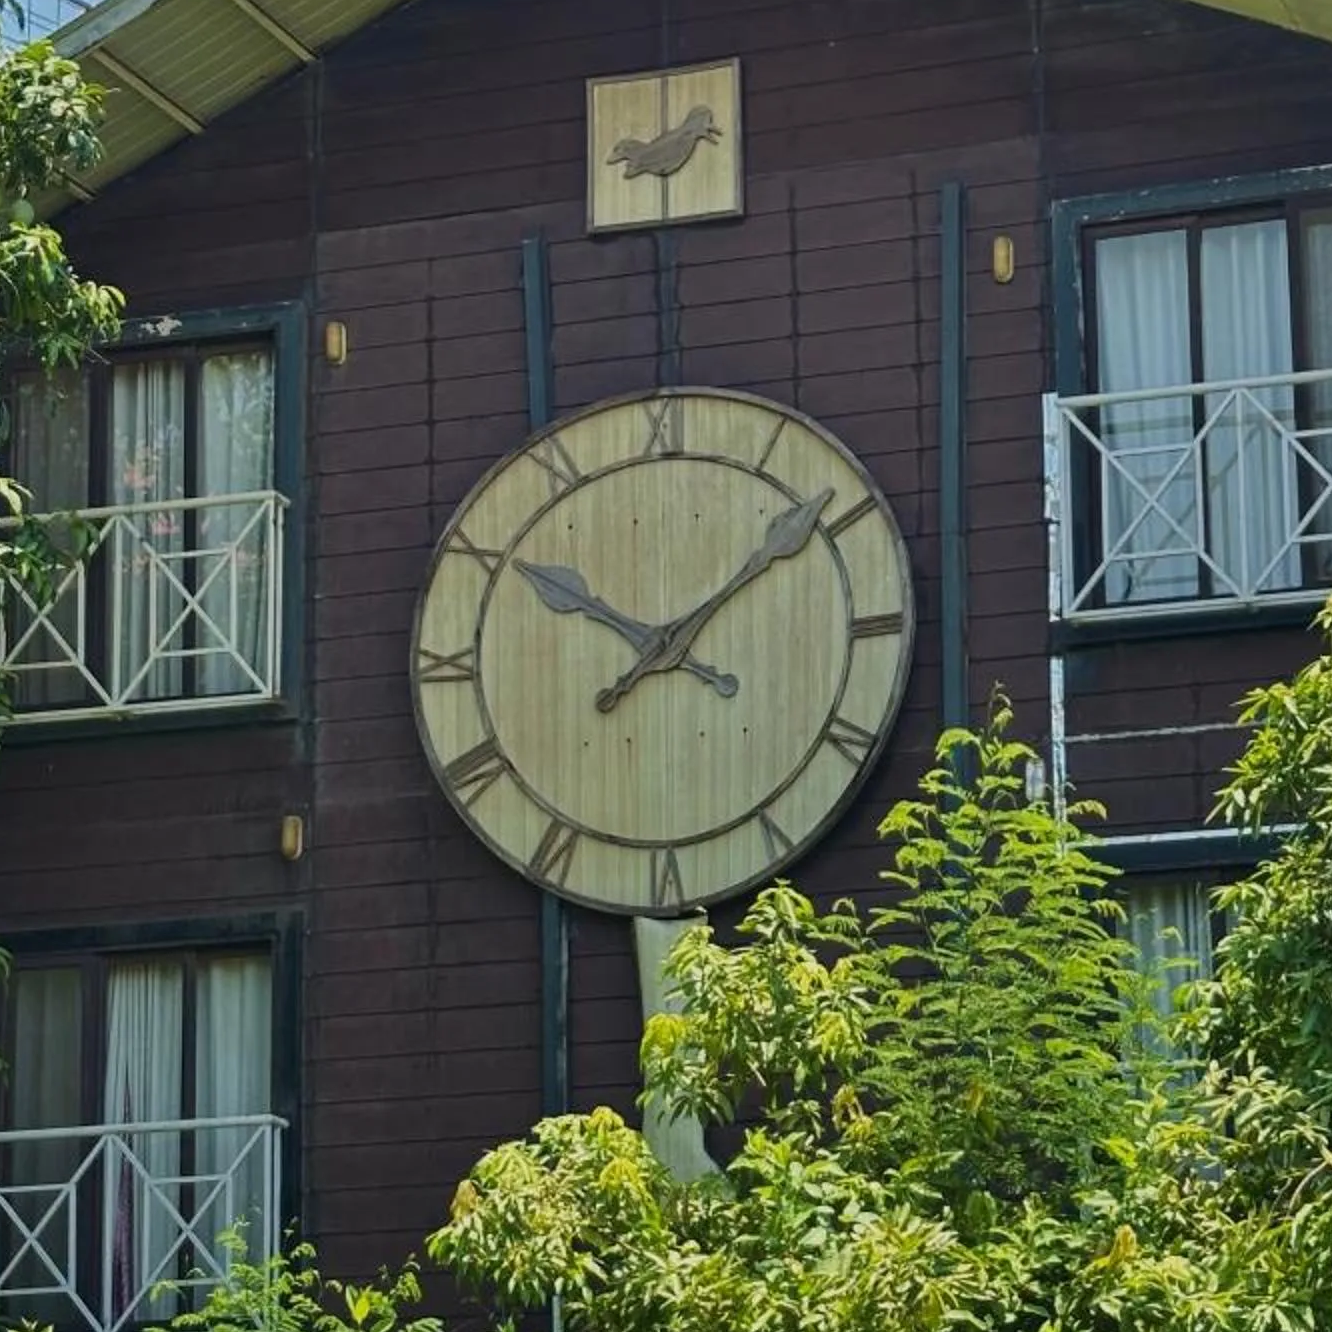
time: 10:08
